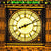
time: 8:11
